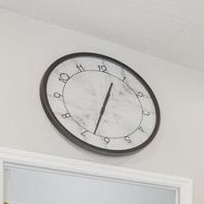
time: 12:32
